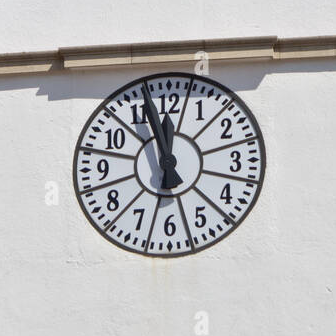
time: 11:57
